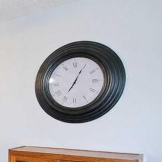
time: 7:04
